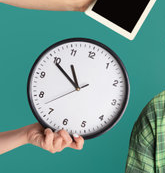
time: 10:49
